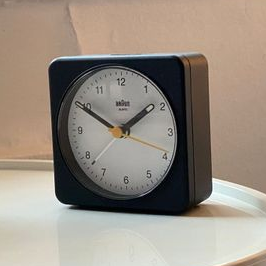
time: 1:50
